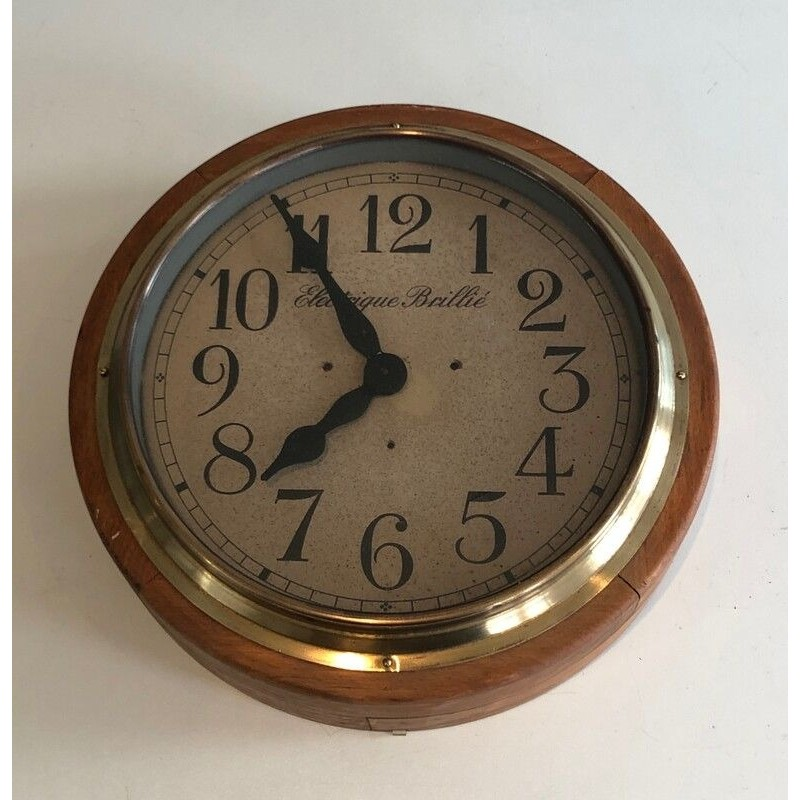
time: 7:54
